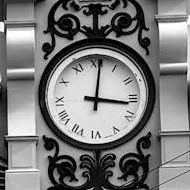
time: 3:01
